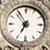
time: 6:54
